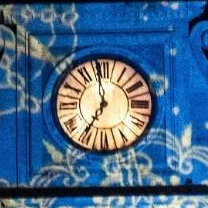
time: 6:58
